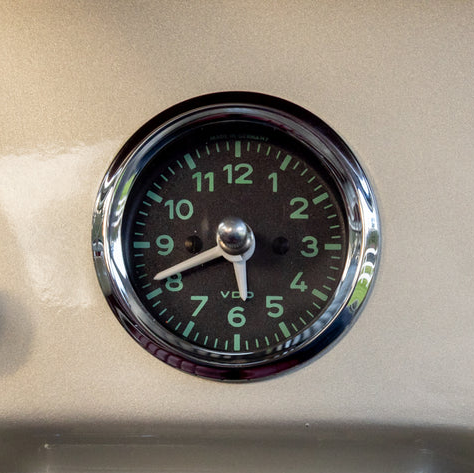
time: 5:41
